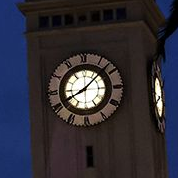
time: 8:07
